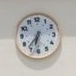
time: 6:36
